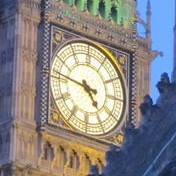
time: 4:46
